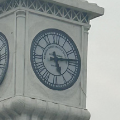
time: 5:14
